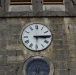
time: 3:14
